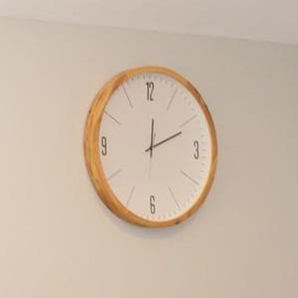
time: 12:11
